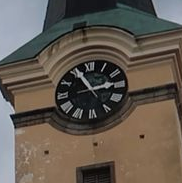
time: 2:55
